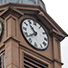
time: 10:38
